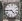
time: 4:44
